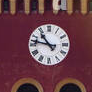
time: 10:47
